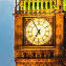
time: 6:55
